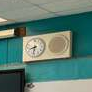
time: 8:32
